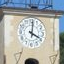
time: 4:01
